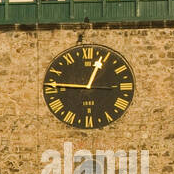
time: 12:46
